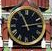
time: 11:13
